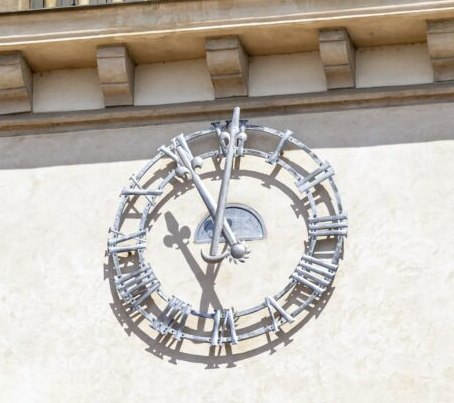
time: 10:32
